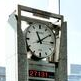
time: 11:09
